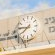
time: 7:46
